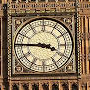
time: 3:45
